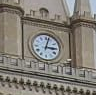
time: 3:02
